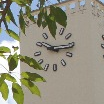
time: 10:16
